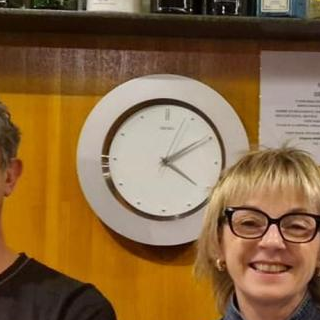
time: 4:09
